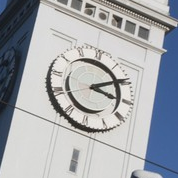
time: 3:09
